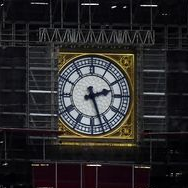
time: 2:26
